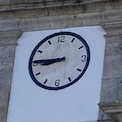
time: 8:45
